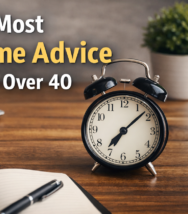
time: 7:08
